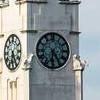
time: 6:24
